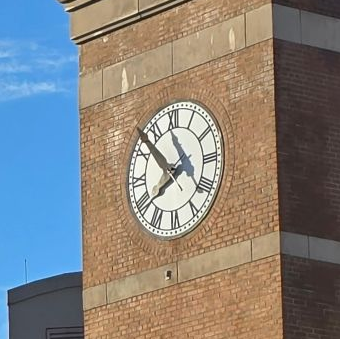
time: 7:52
